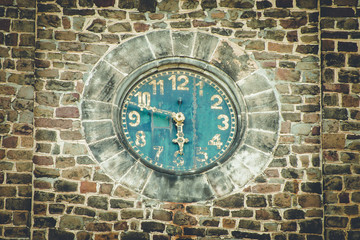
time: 5:47
